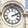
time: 2:11
